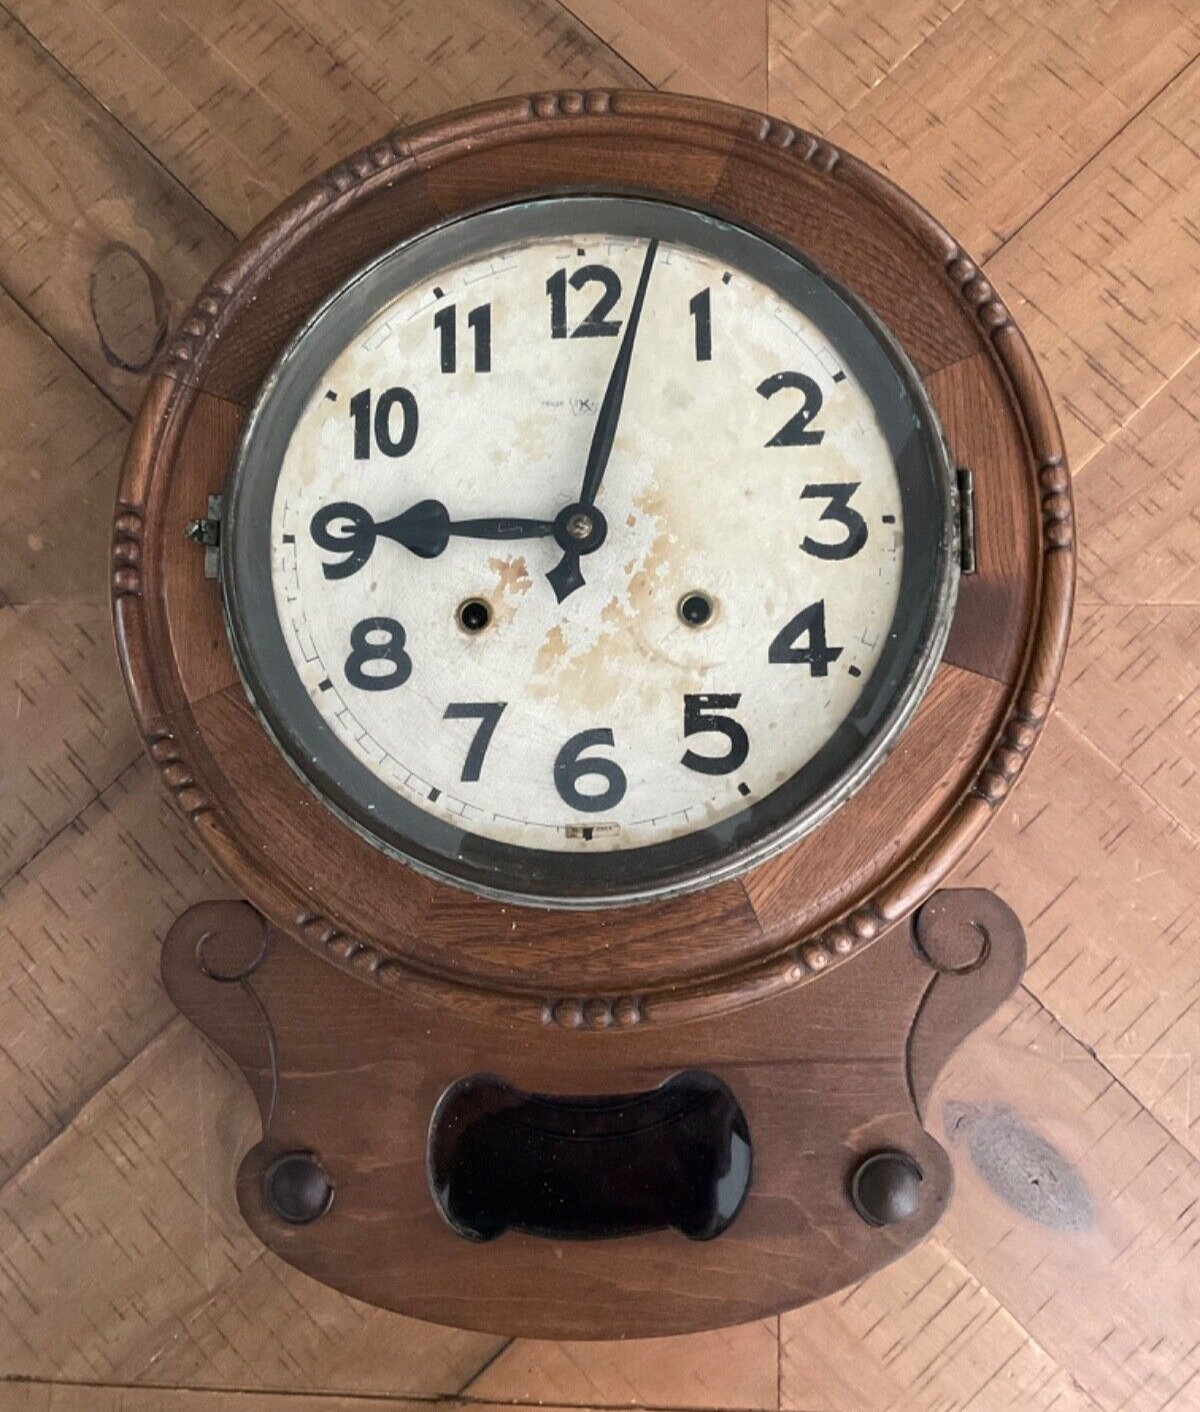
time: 9:02
